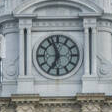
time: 6:56
